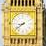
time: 8:38
